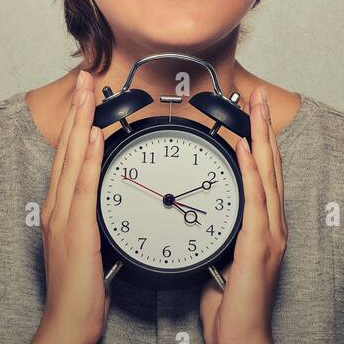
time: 4:10
